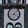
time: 4:07
